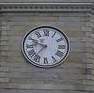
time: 9:36
